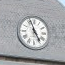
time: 4:56
